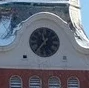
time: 11:35
